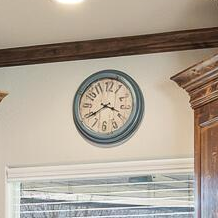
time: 3:39
